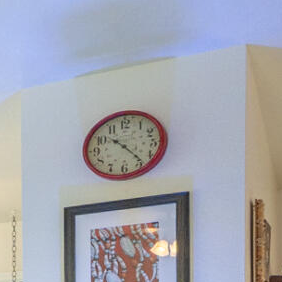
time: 10:23
